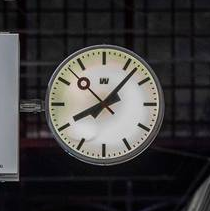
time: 8:07
